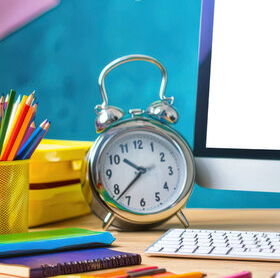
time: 10:37
